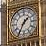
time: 1:35
